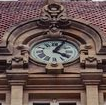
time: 4:04
